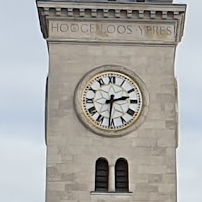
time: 2:30
